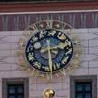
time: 2:29
